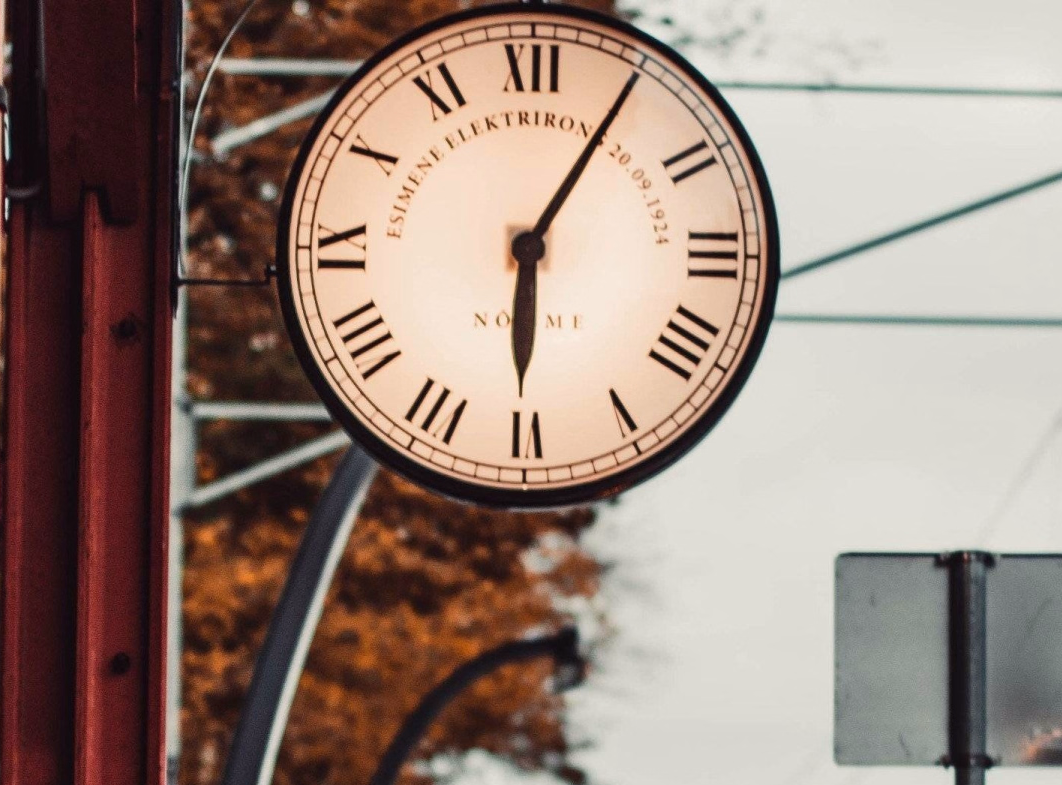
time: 6:05
